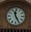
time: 11:25
